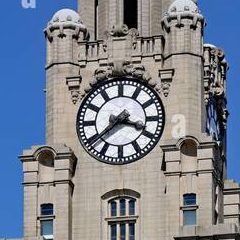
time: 3:38
